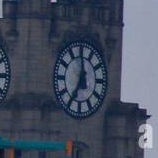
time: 6:59
